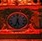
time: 5:33
